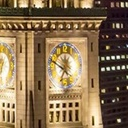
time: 11:49
